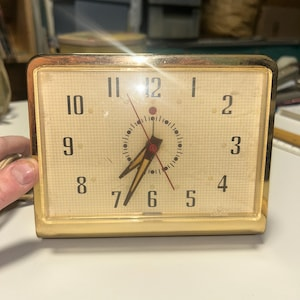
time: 7:34
